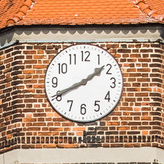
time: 1:40
